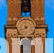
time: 7:58
